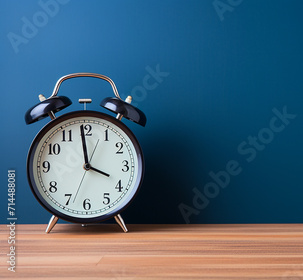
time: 3:58
